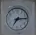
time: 7:13
